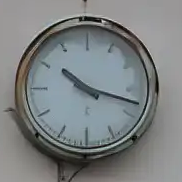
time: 10:17
